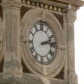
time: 2:13
